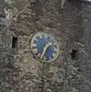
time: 1:34
